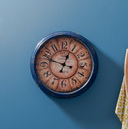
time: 12:48
